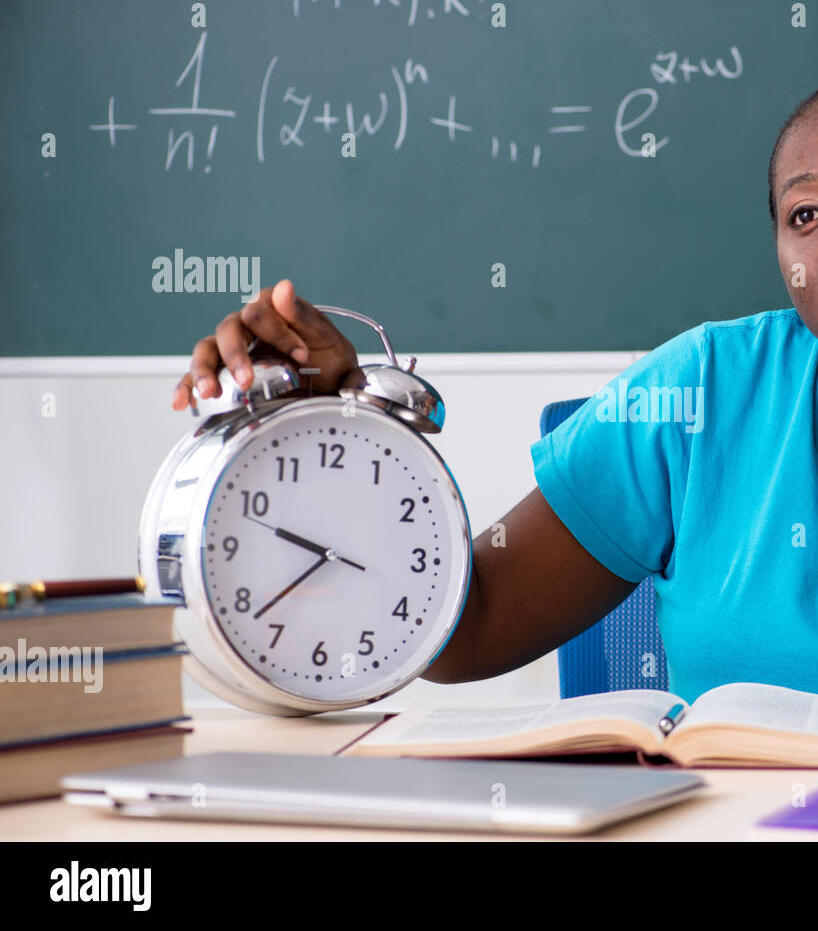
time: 9:38
